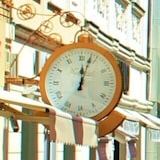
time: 12:03
